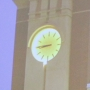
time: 8:44
